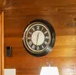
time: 12:31
